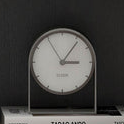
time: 3:06
